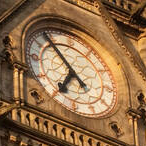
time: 6:54
